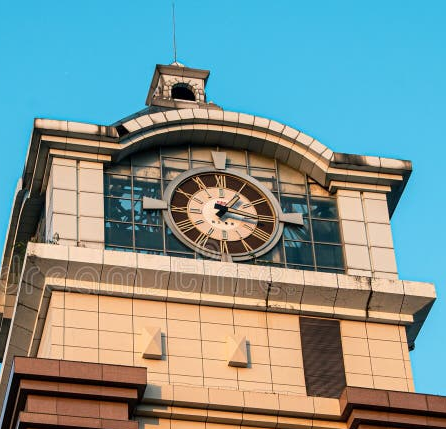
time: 1:16
